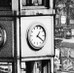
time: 1:20
